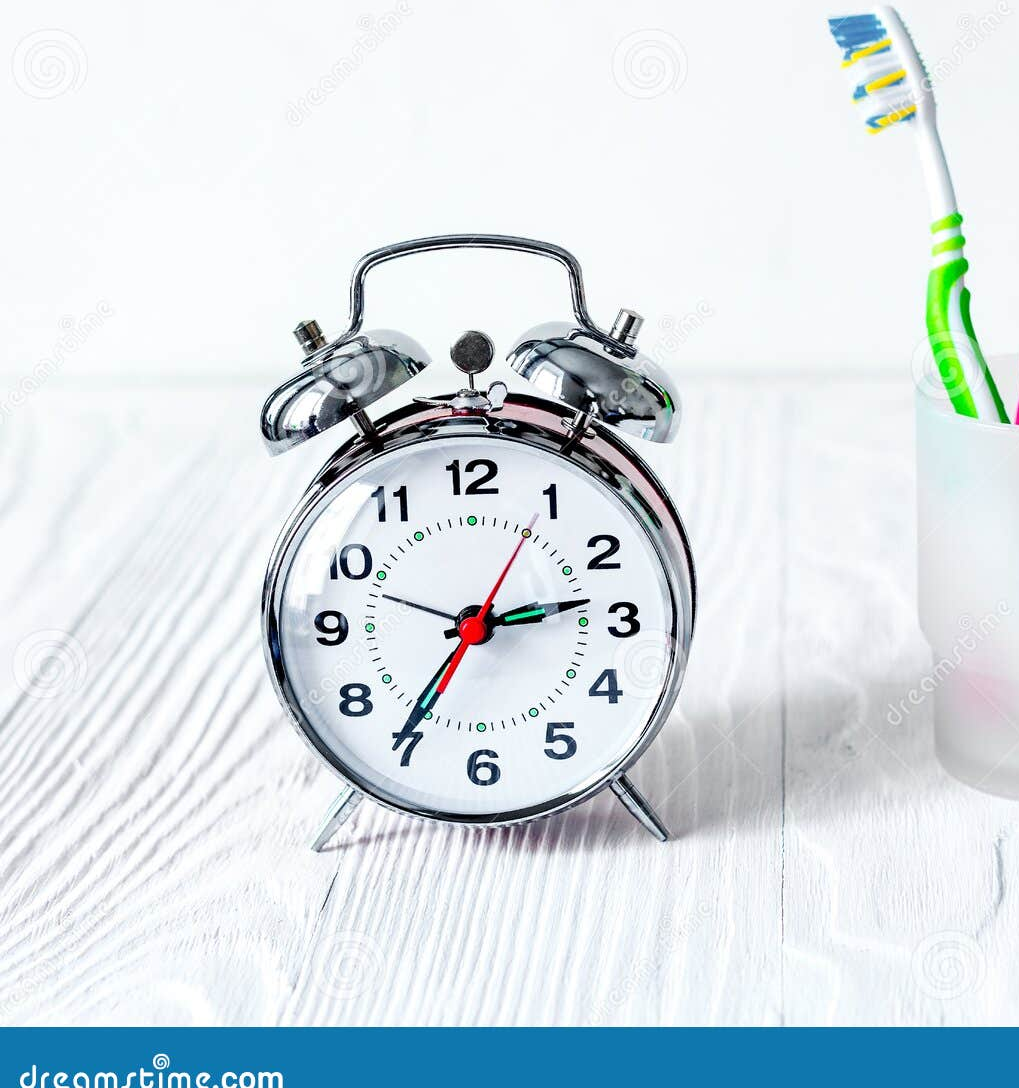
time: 2:35
